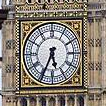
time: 5:34
